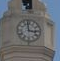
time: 2:58
